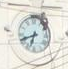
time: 6:41
